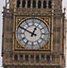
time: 12:49
